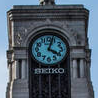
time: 4:03
